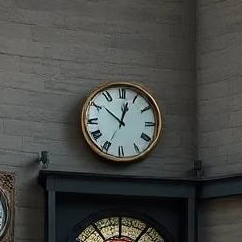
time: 12:51
